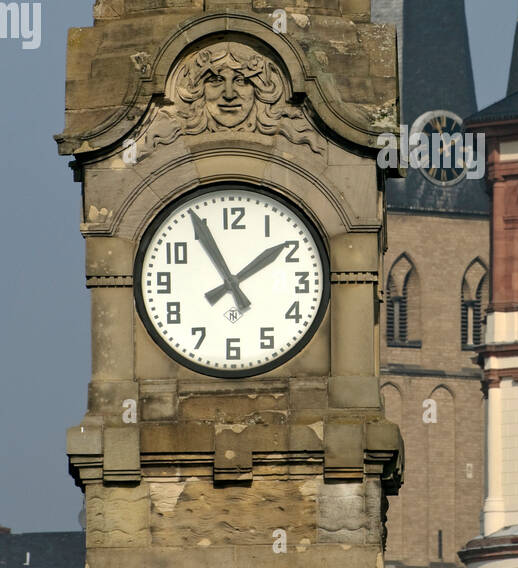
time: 1:55
